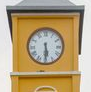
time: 5:29
